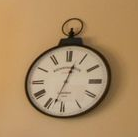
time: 12:32
